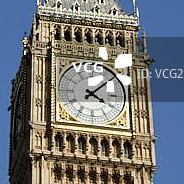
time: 4:07
